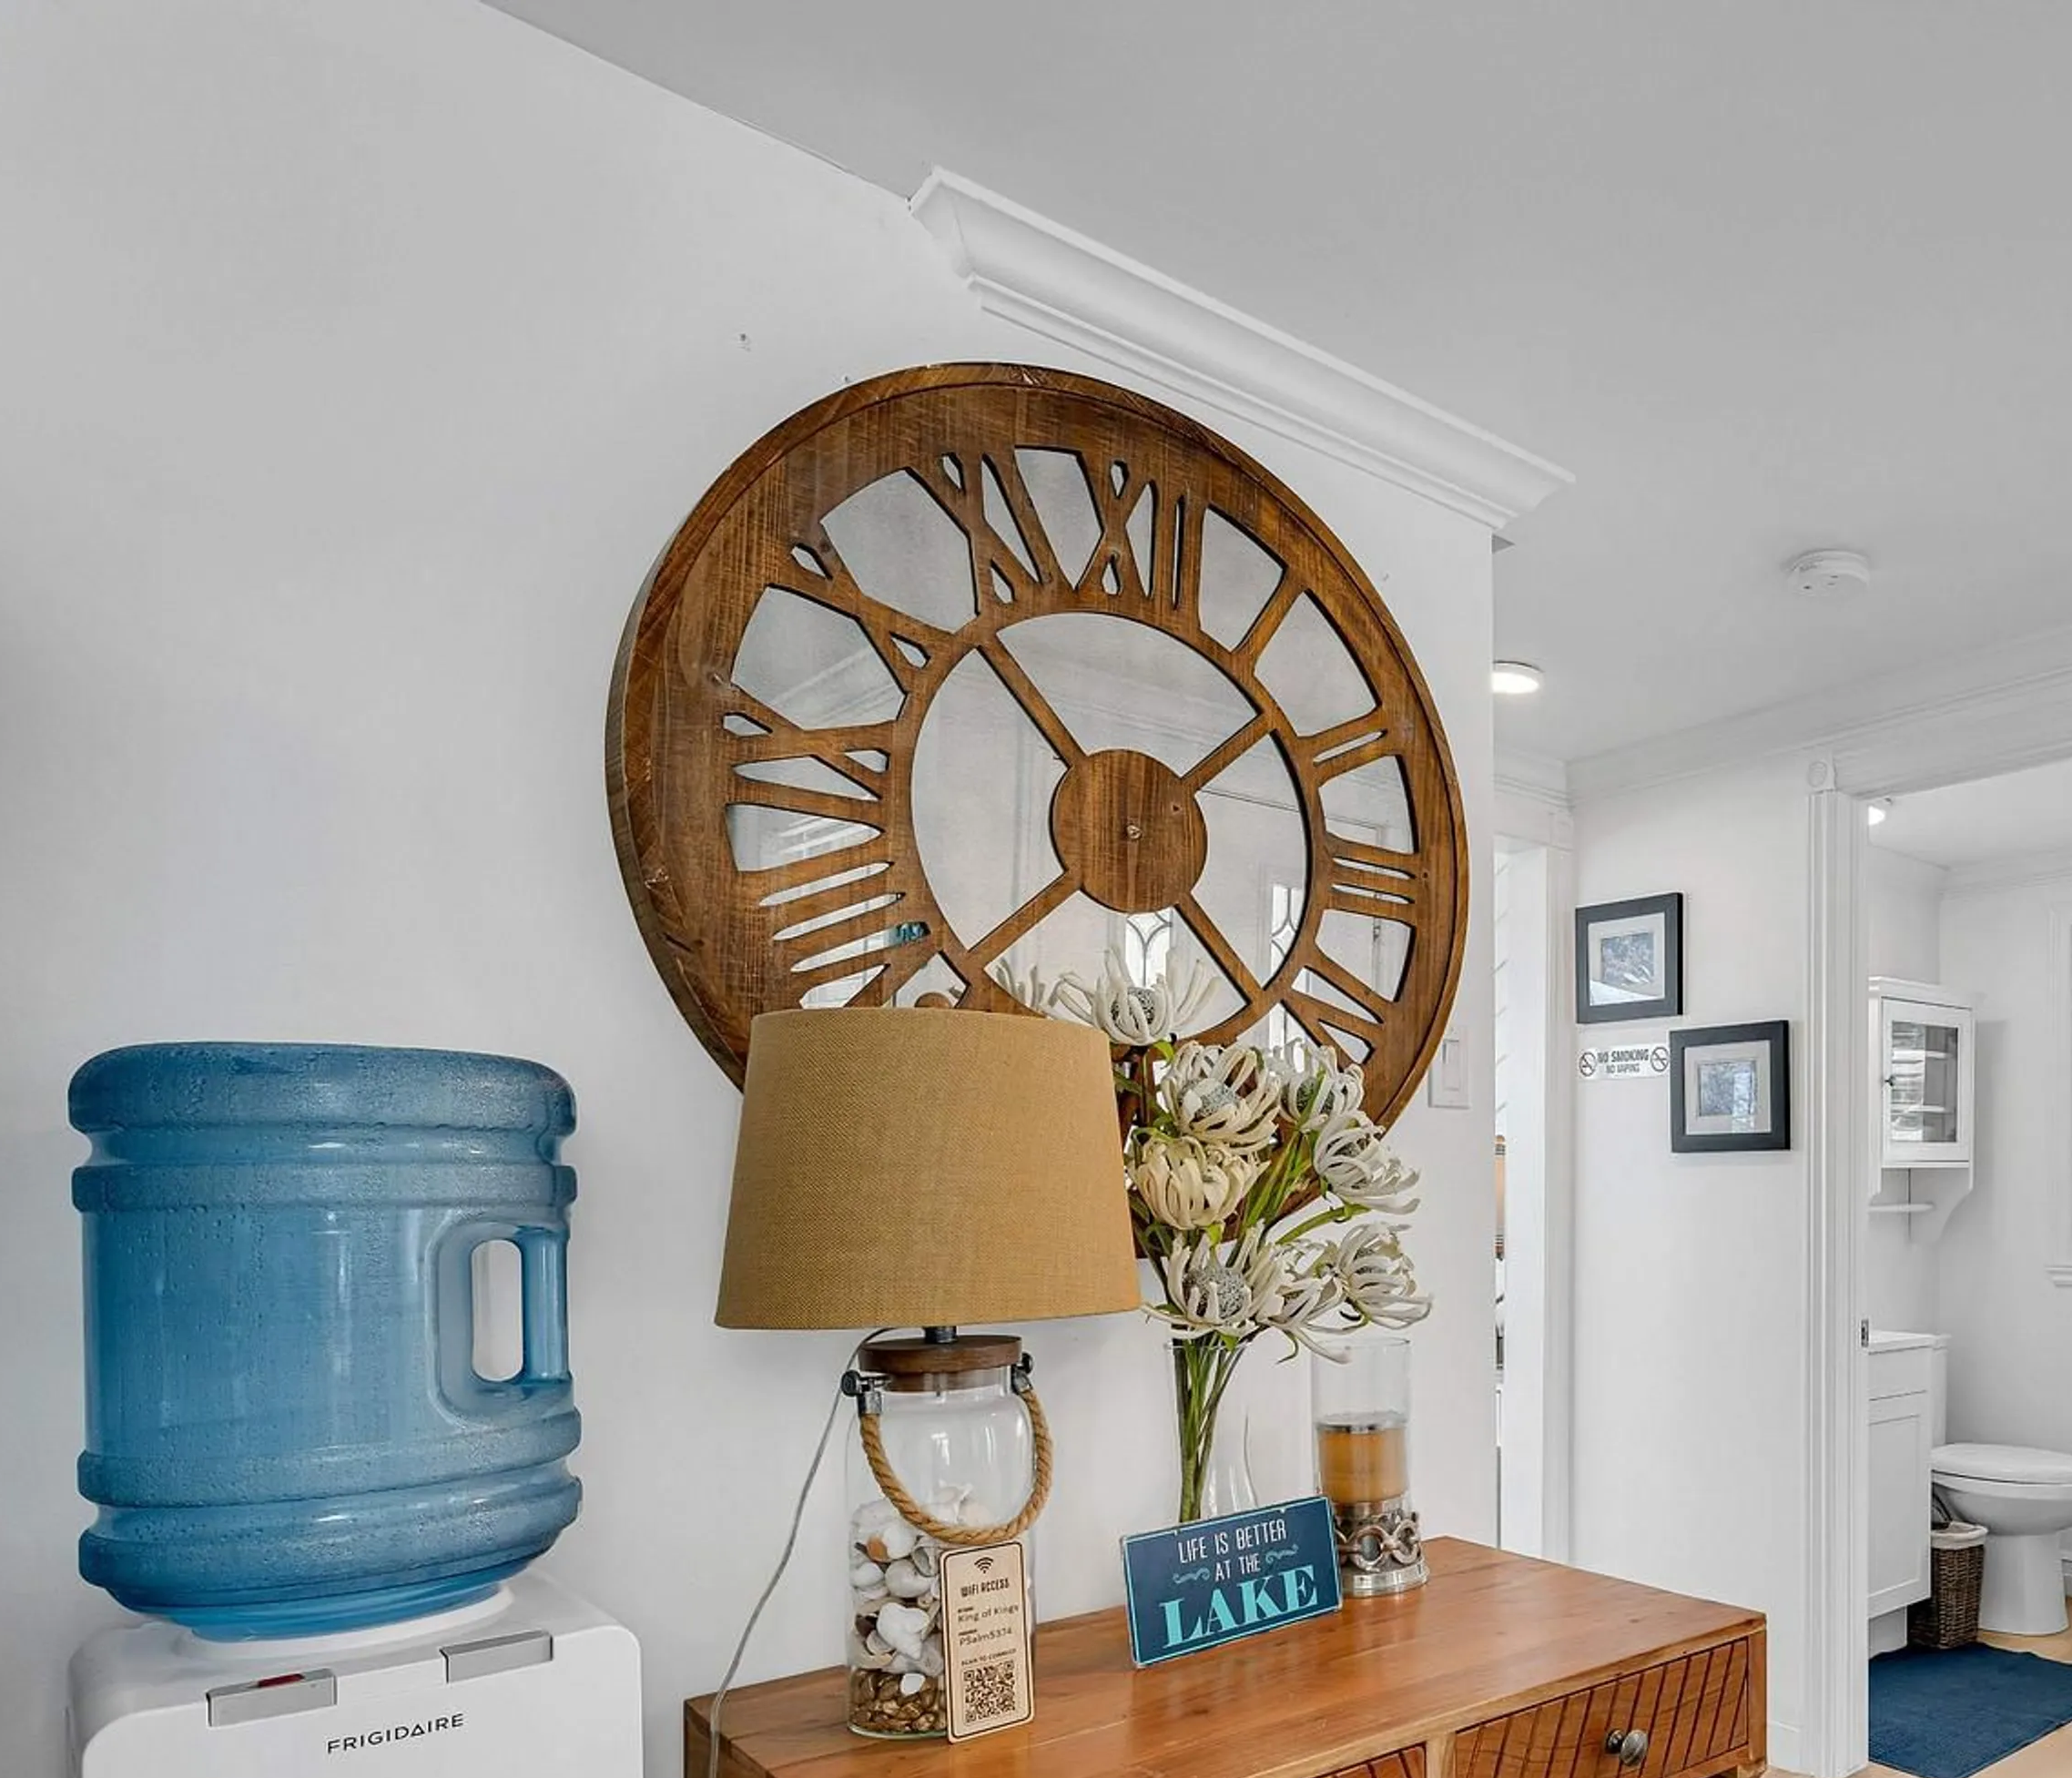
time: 1:52
